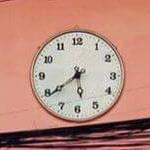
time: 5:39
